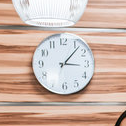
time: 3:07
